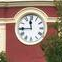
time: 11:44
